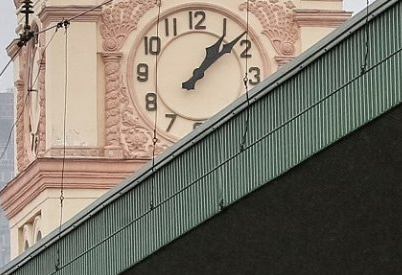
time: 1:08
